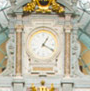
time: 1:18
